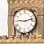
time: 9:12
